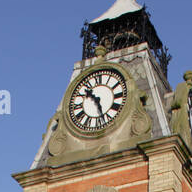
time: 10:27
